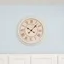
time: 10:07
